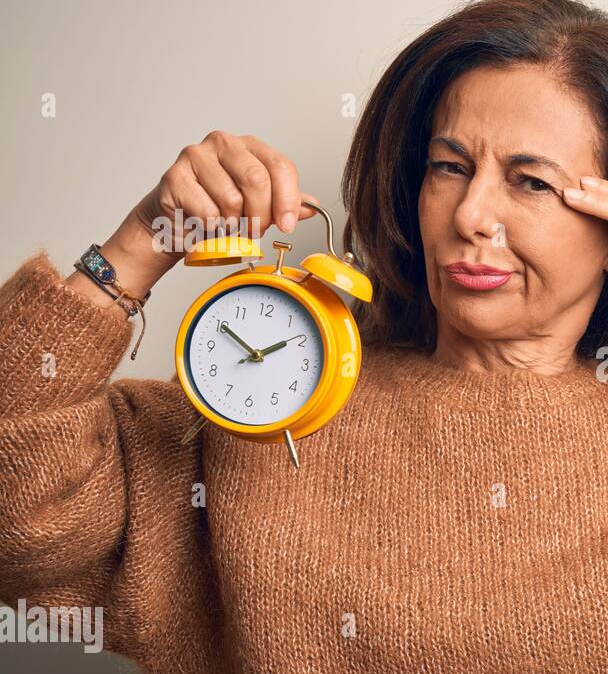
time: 1:50
